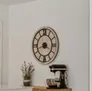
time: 3:42
